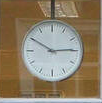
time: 2:50
